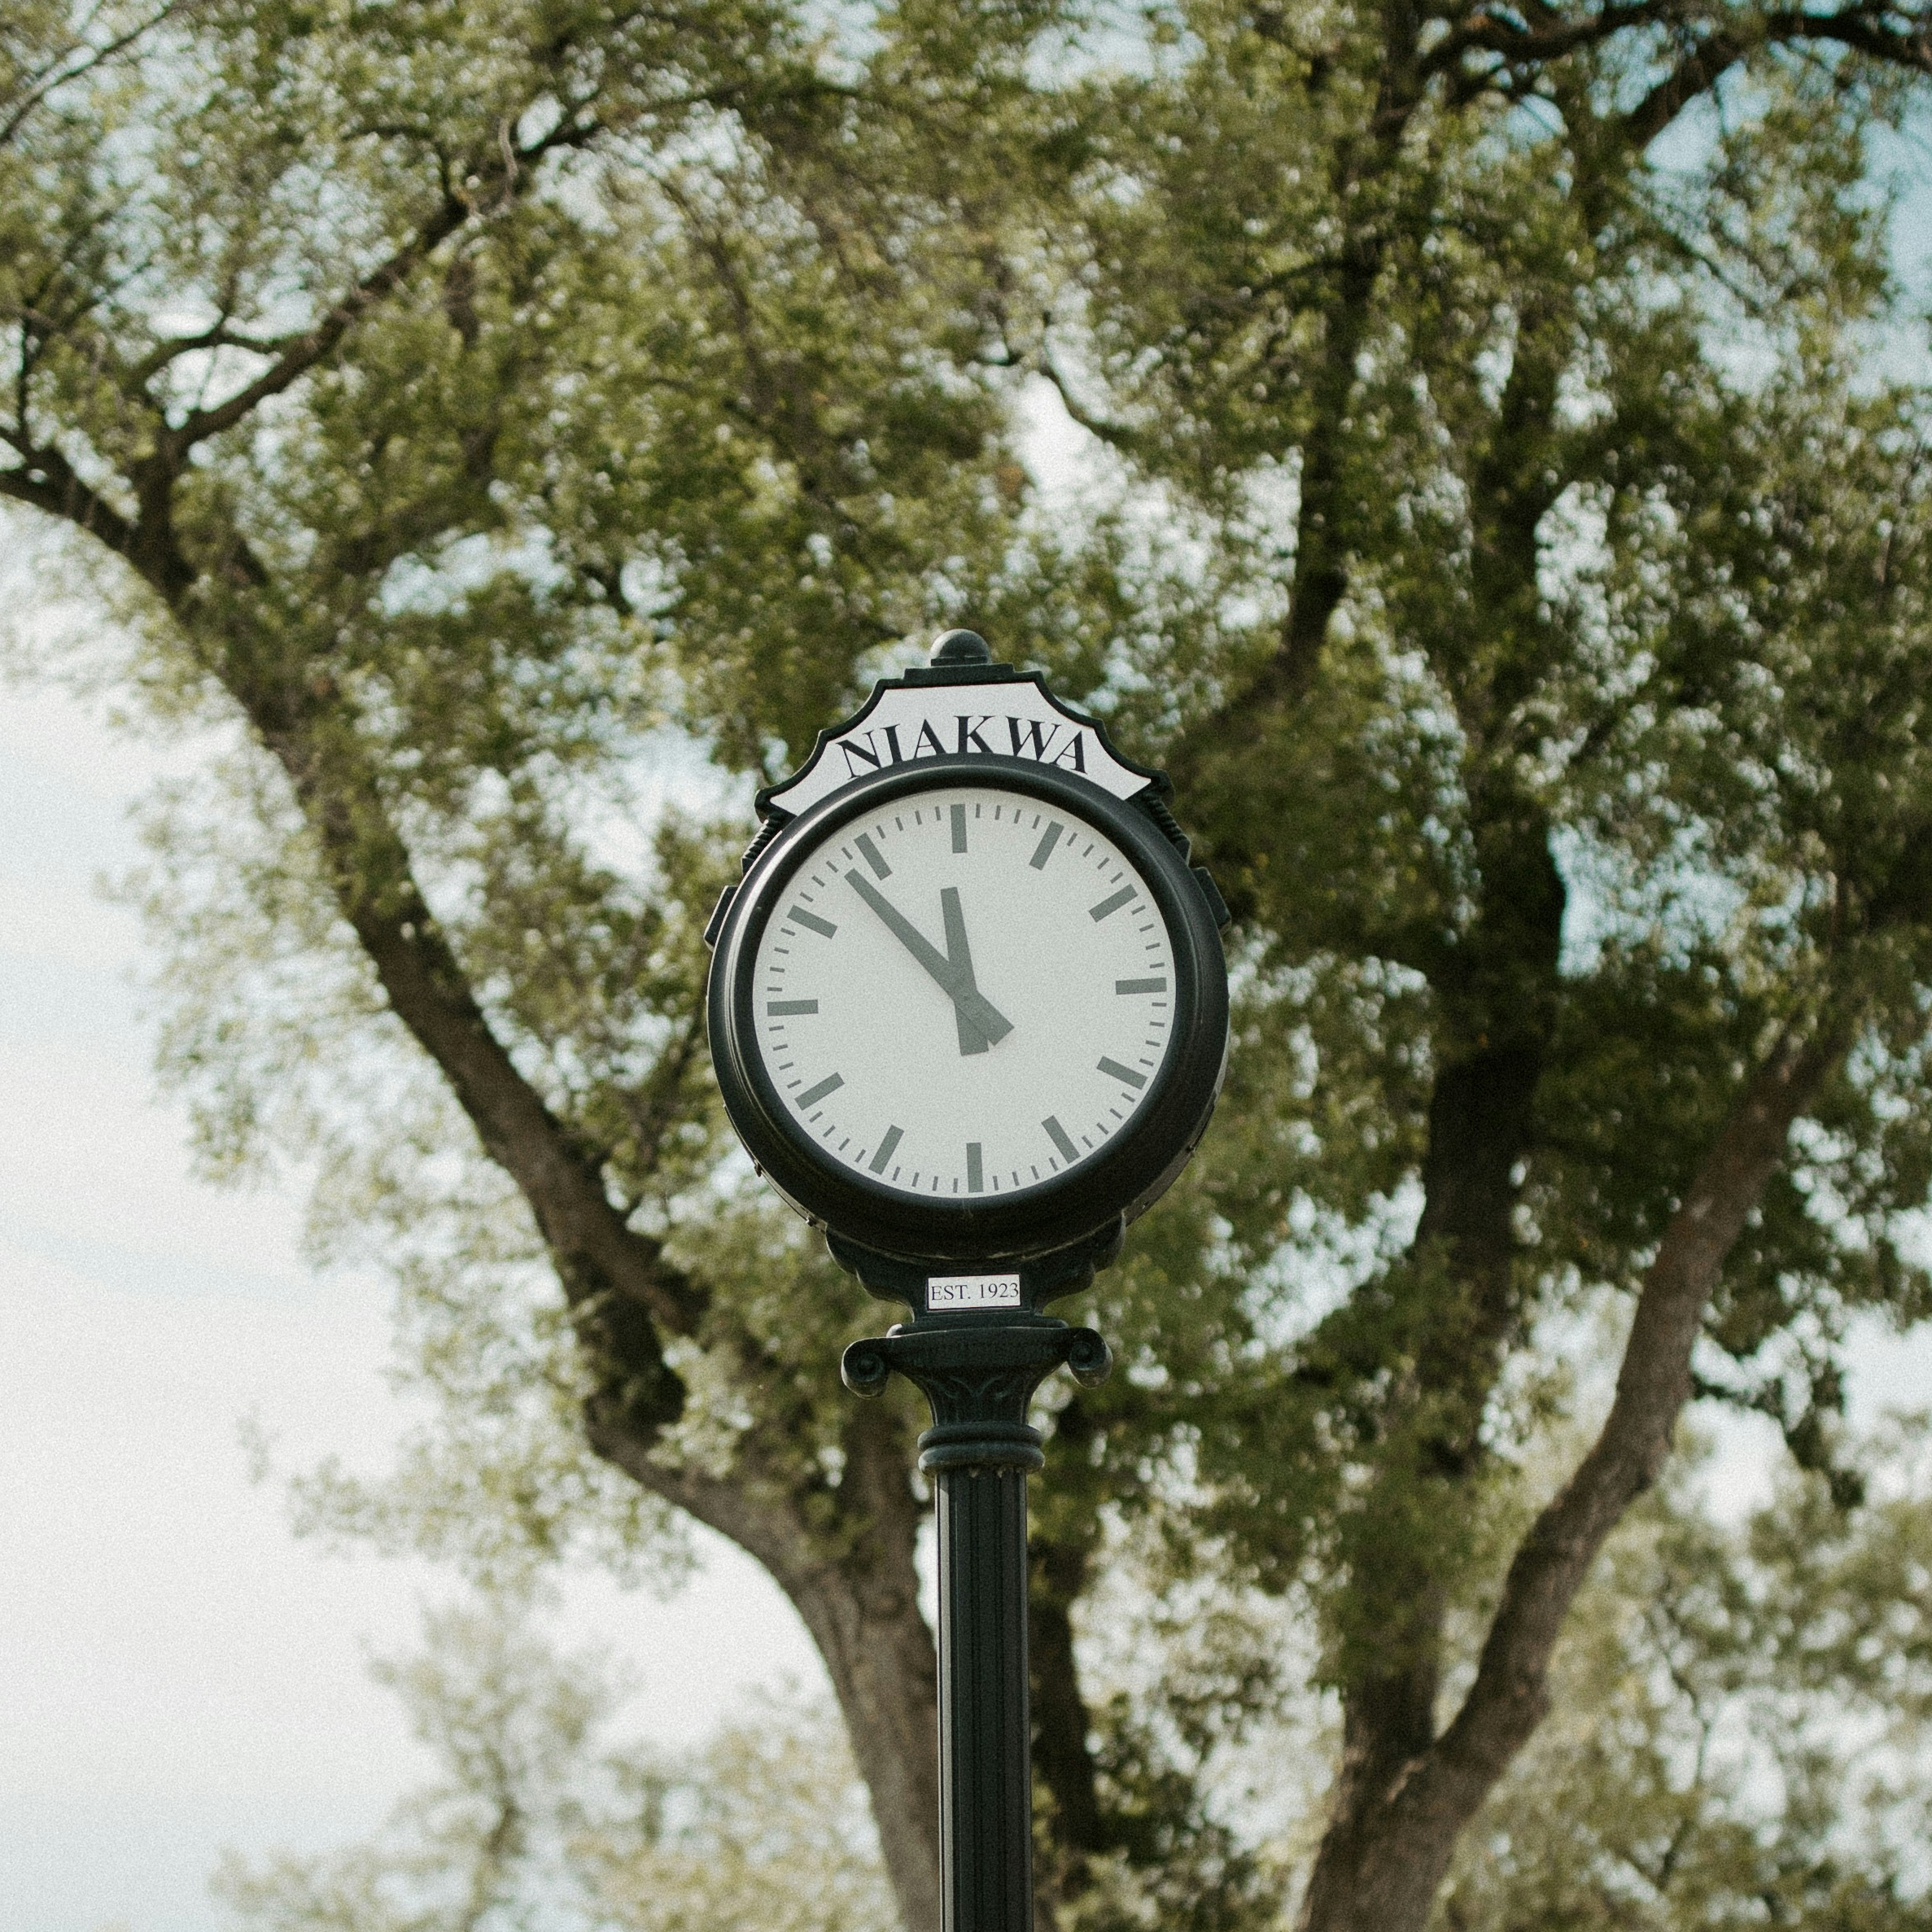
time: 11:53
